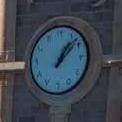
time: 1:07
